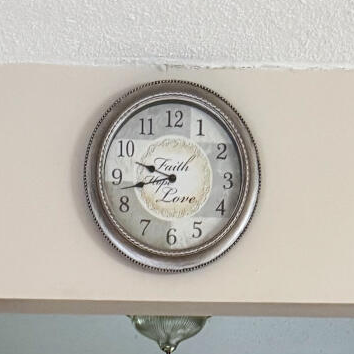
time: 9:42
